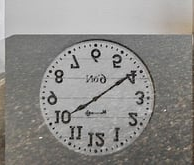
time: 8:09
